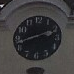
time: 2:42
